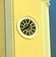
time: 8:04
